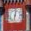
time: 12:32
